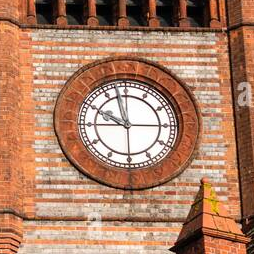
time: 9:57
